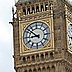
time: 8:51
